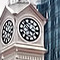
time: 3:51
